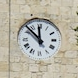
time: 11:52
